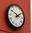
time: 1:50
